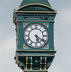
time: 5:21
